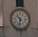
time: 10:32
